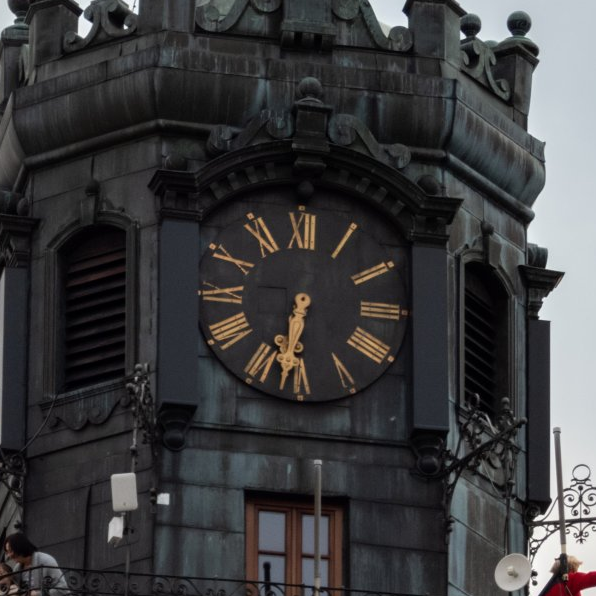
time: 6:31
